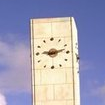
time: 9:12
